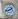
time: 1:42
